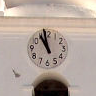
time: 10:58
